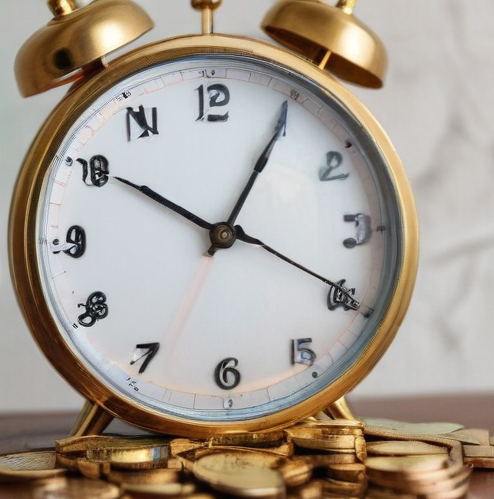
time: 10:05
